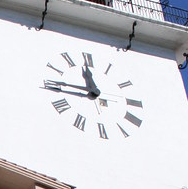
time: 11:46
